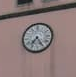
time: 7:24
